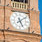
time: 5:08
